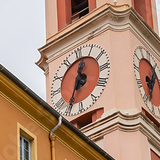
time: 12:34
